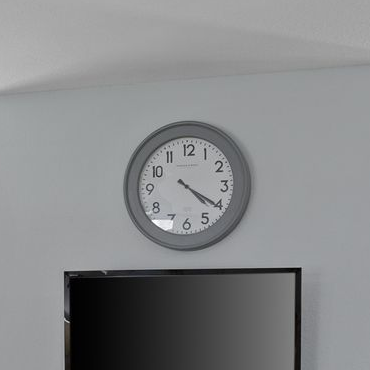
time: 4:20
